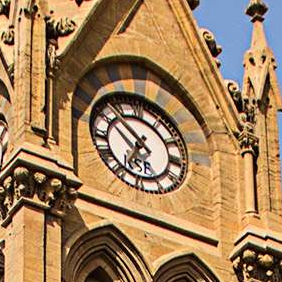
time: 6:52
